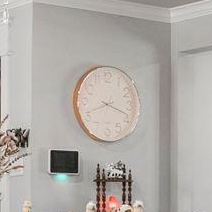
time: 8:18
